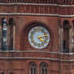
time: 4:12
